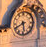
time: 5:40
